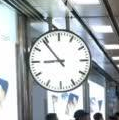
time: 8:53
